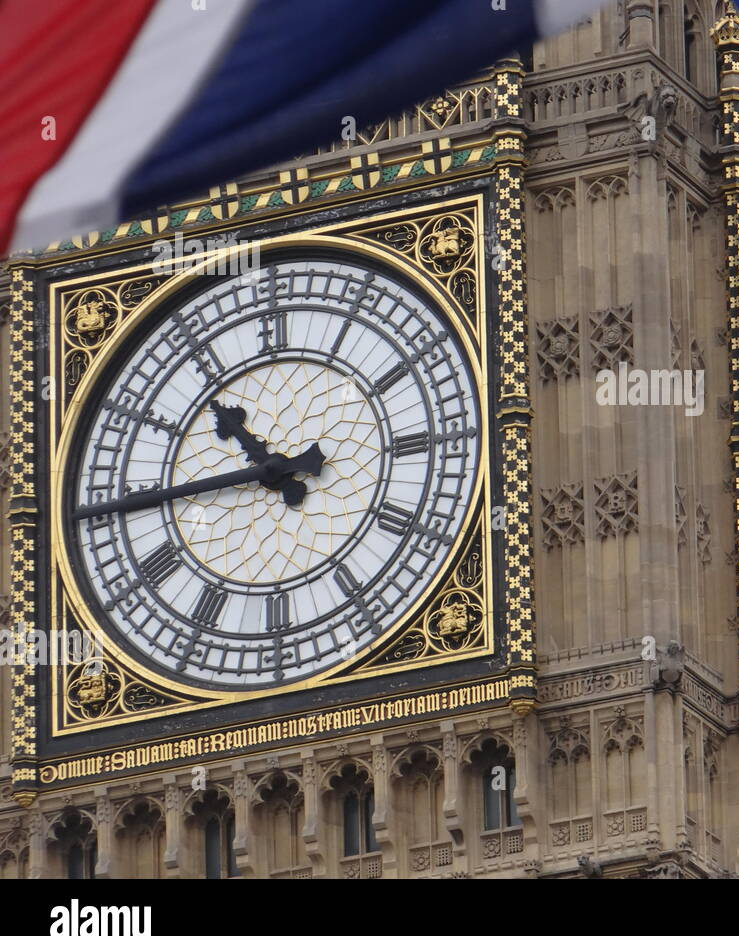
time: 10:44
